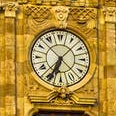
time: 6:52
